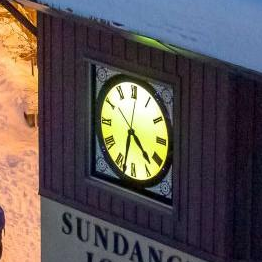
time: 4:32
